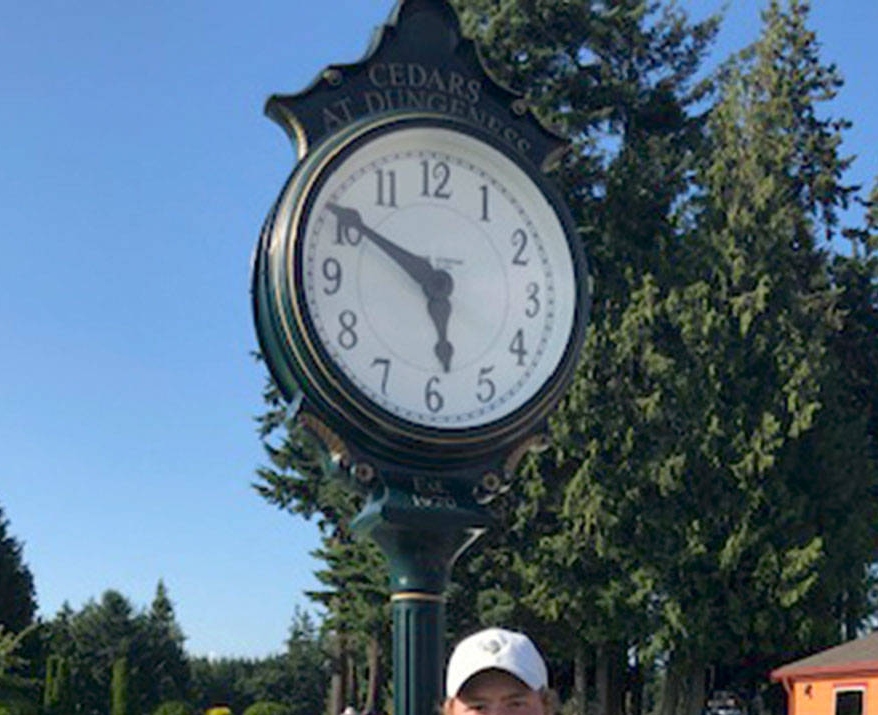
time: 5:50
